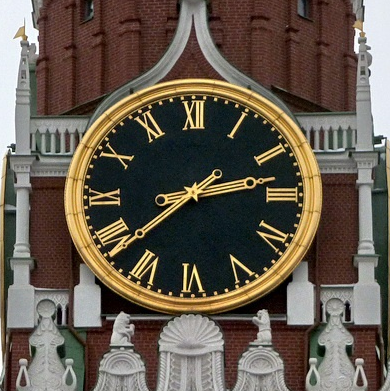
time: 2:38
